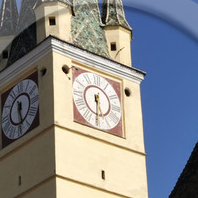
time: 5:30
